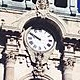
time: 9:50
